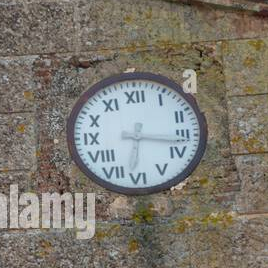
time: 6:16
